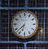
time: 6:37
